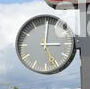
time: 3:00
